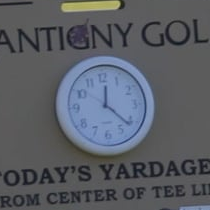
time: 12:21
